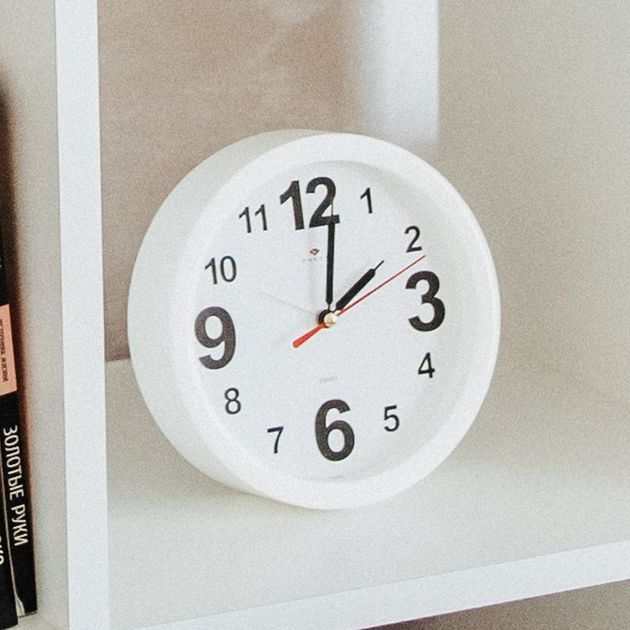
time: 2:01
